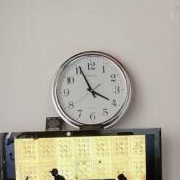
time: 3:55
